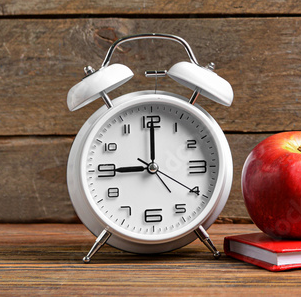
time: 9:00
